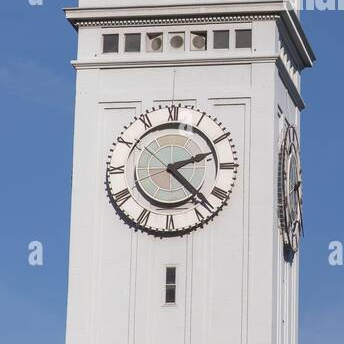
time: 2:22
